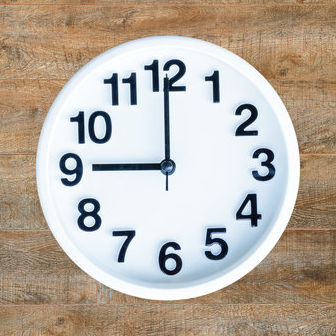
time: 9:00
